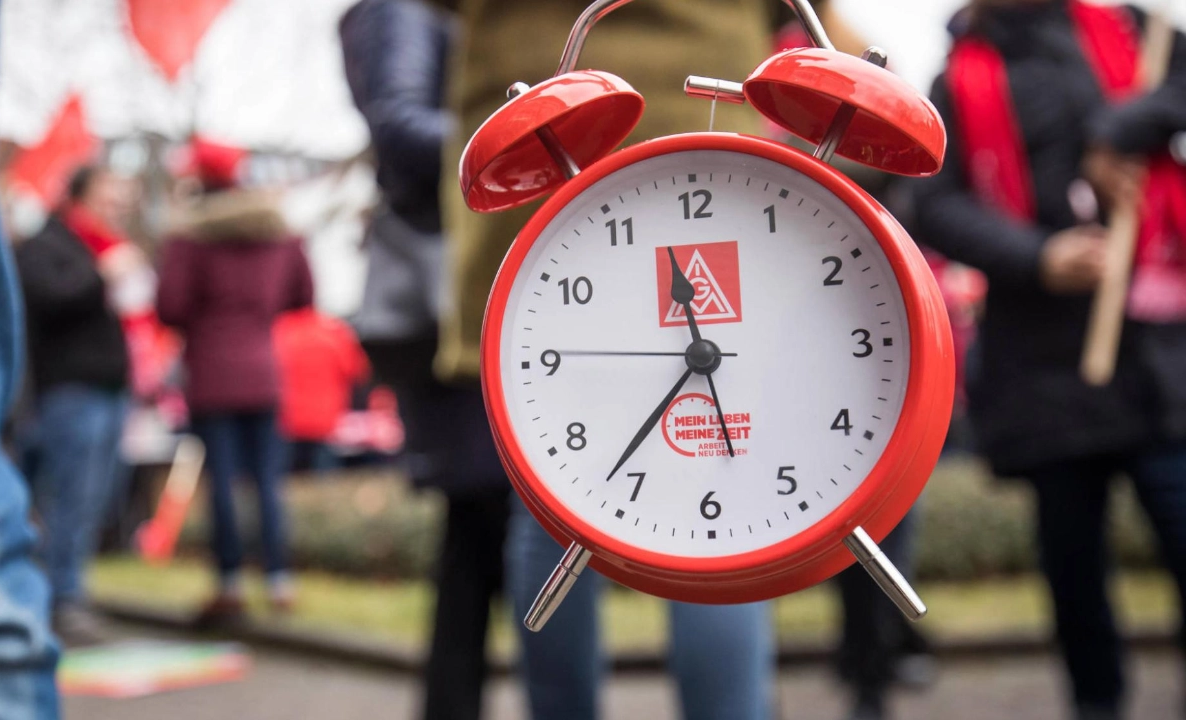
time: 11:36
